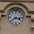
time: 3:39
